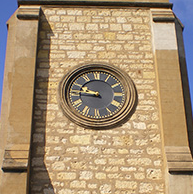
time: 9:45
